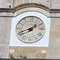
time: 1:41
